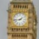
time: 1:43
